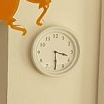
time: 3:29
